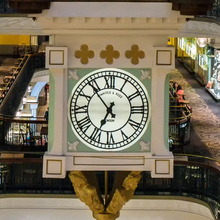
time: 6:53
